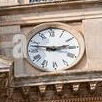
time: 2:47
